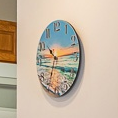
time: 10:14
